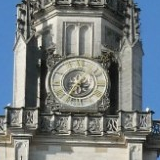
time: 5:35
